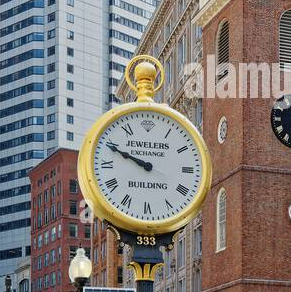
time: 9:49
